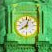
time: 8:02
